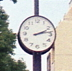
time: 2:13
